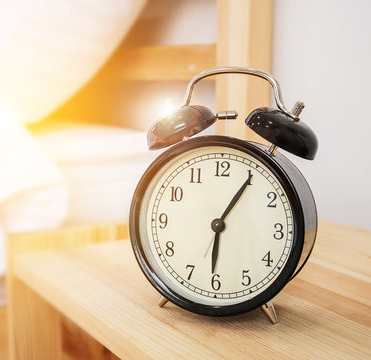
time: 6:05
